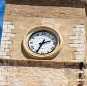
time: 2:34
